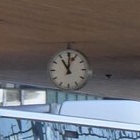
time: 11:01
